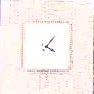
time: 4:07
